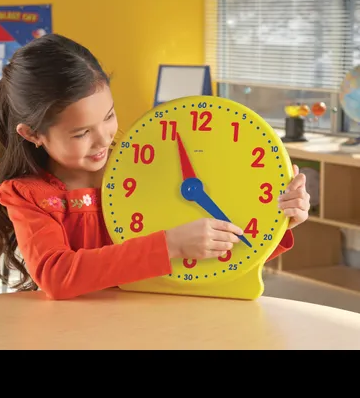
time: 4:21
